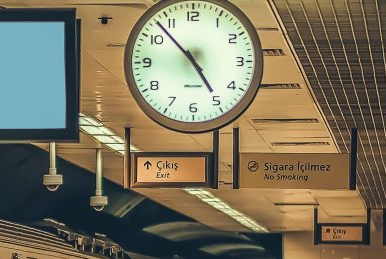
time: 4:52
